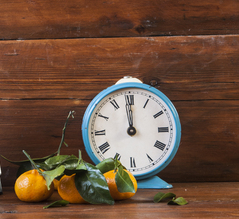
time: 11:58
